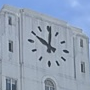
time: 10:00
